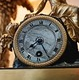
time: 7:25
